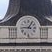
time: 9:05
